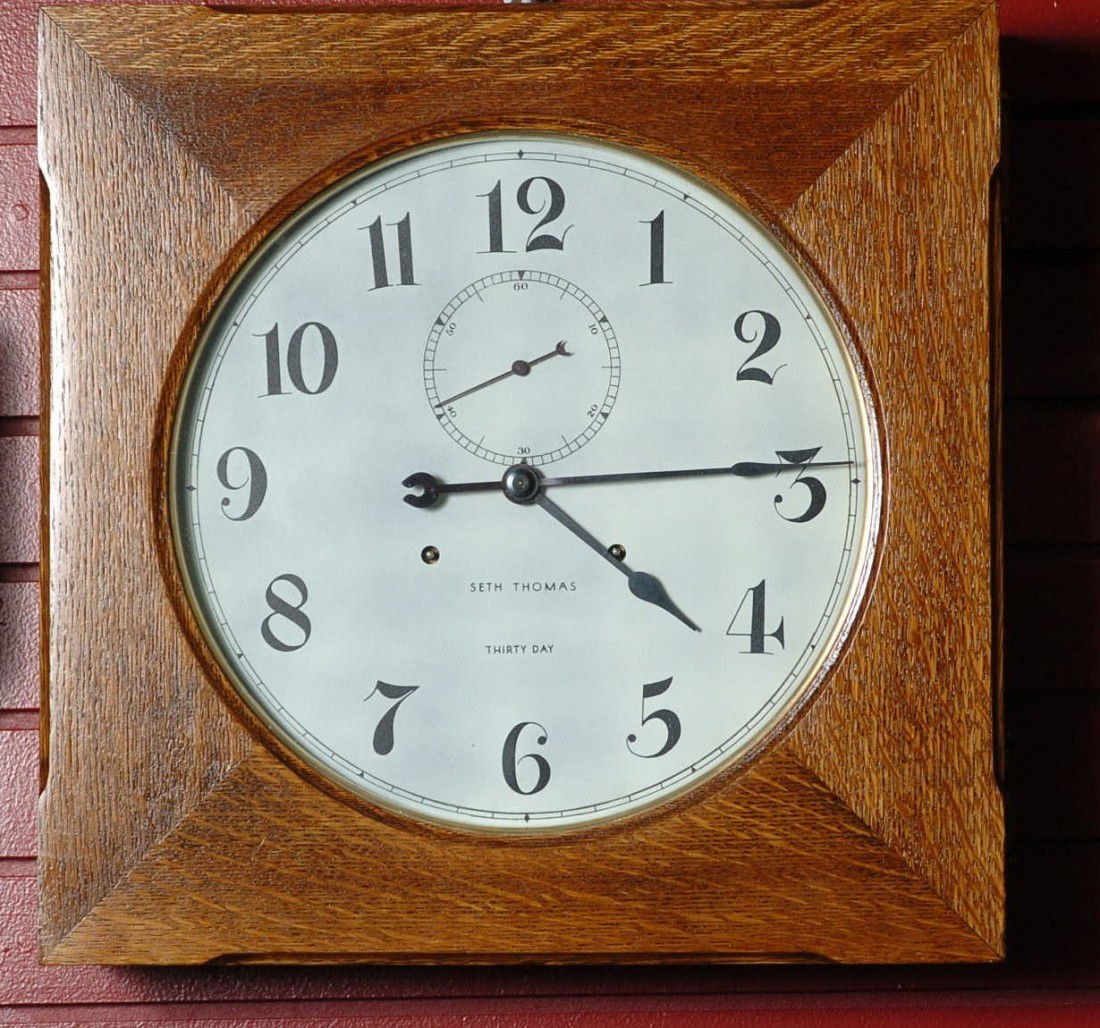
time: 4:14
